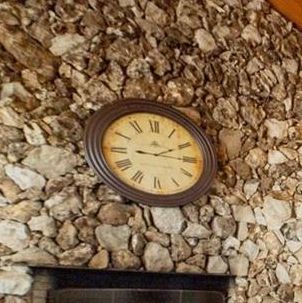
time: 9:10
